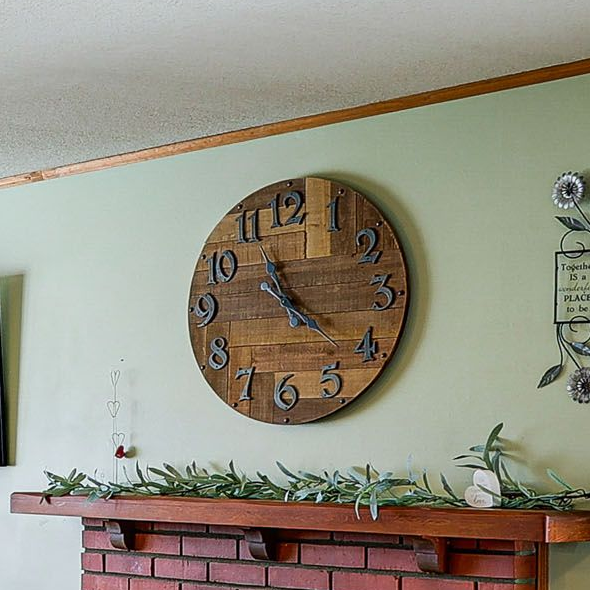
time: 11:21
